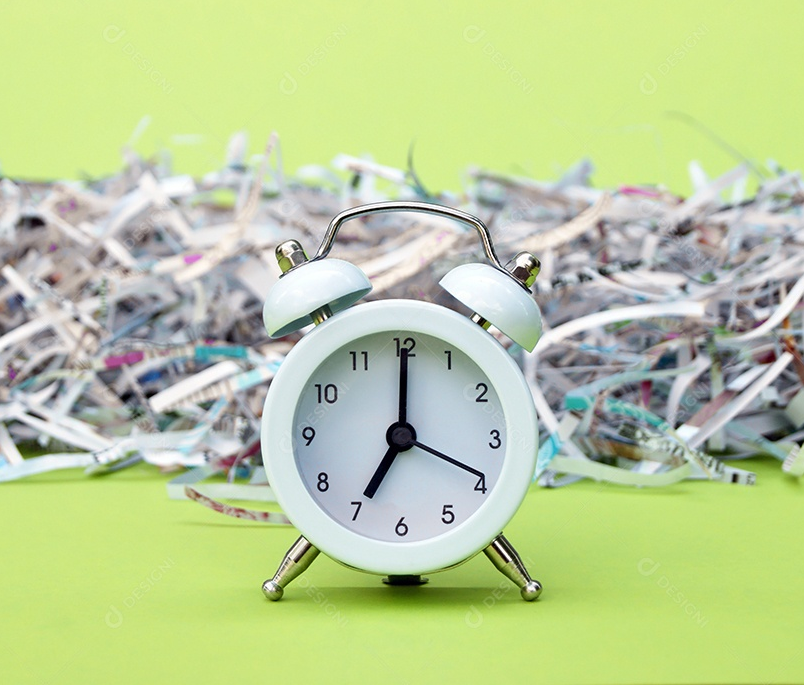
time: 7:00
